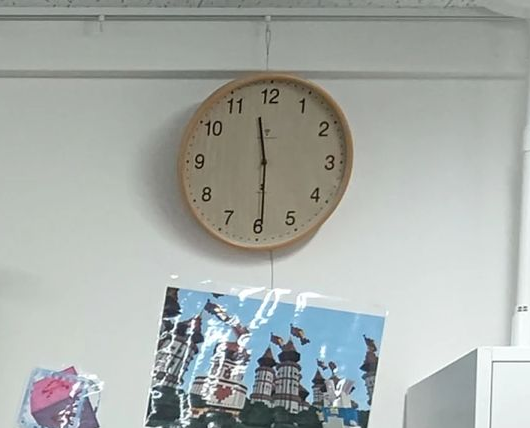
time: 11:29
